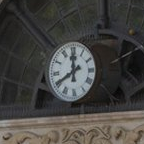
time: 11:40
